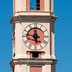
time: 11:46
